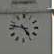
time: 4:46
